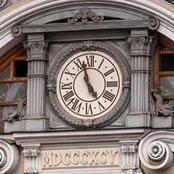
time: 4:57
